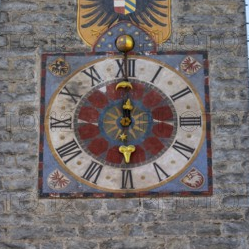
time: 6:00
